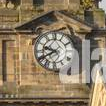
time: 9:40
